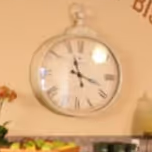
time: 11:18
